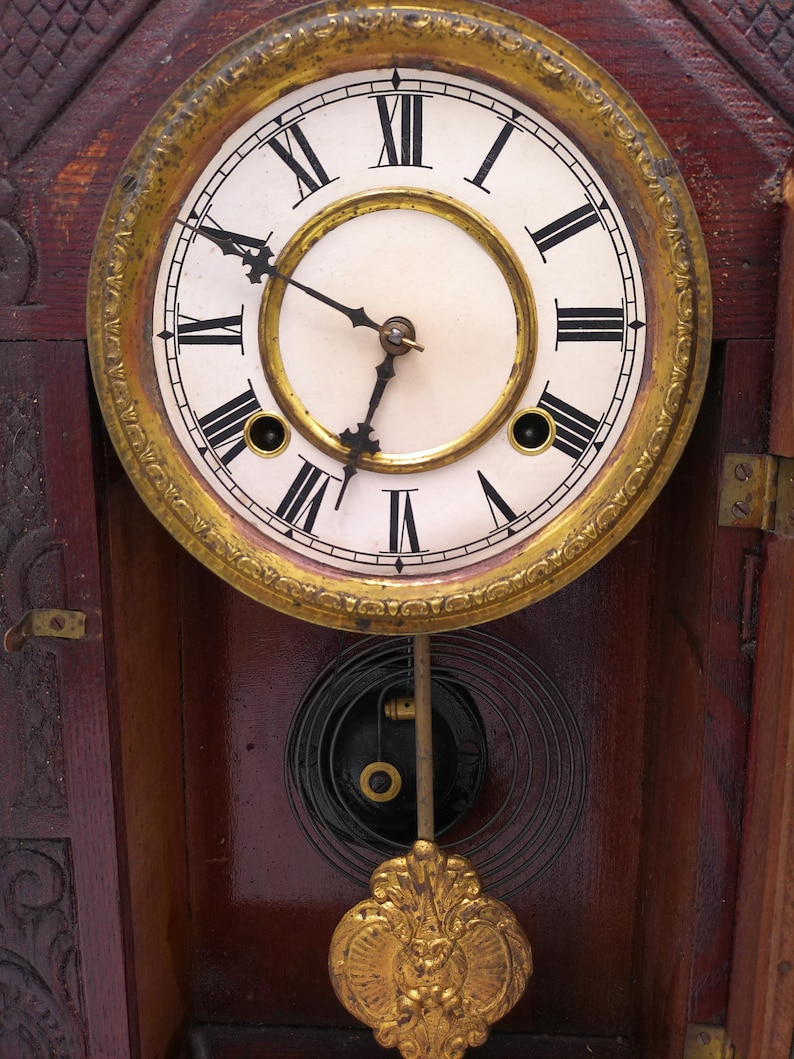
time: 6:49
